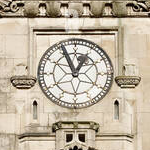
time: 12:56
